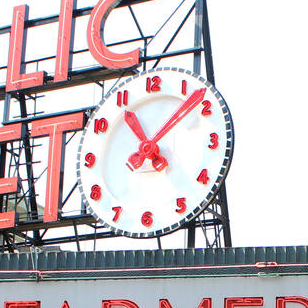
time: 11:08
